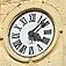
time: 4:07
